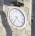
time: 4:35
